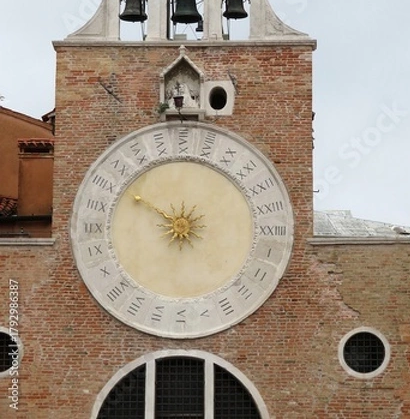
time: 9:50
